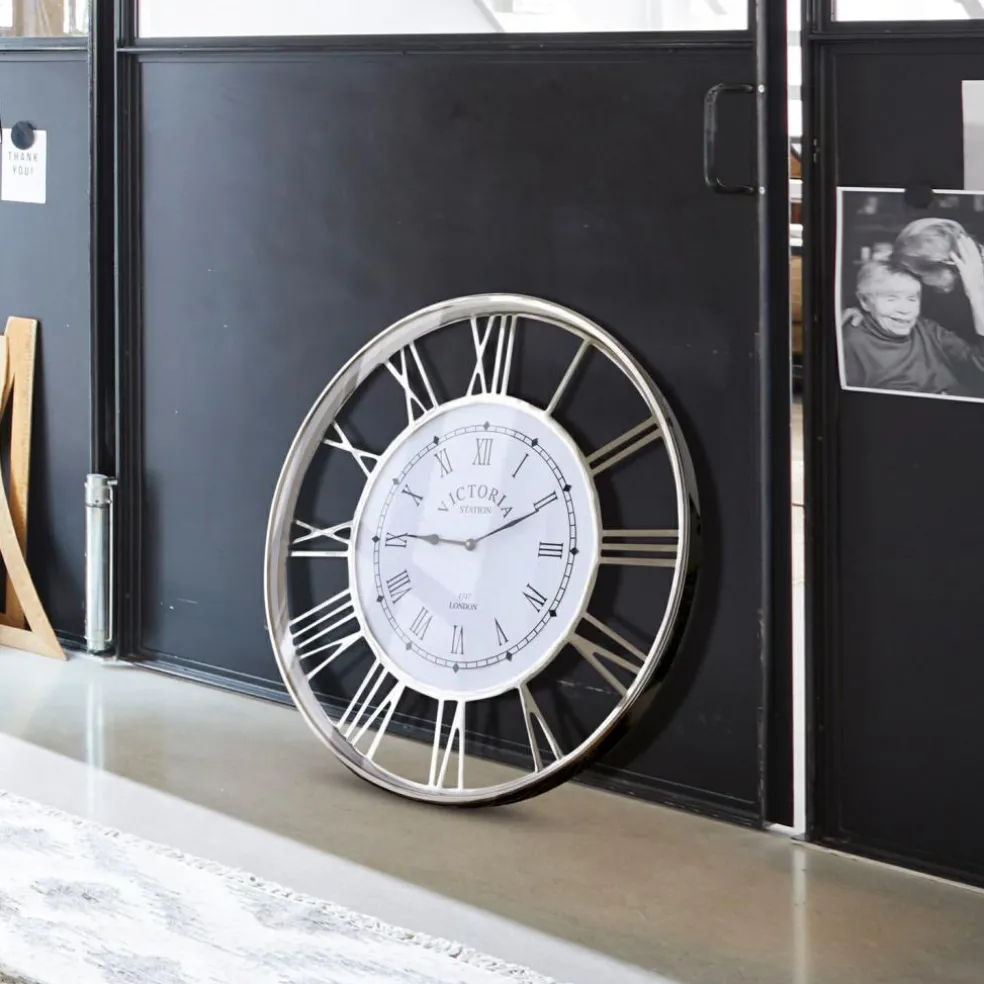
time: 9:10
